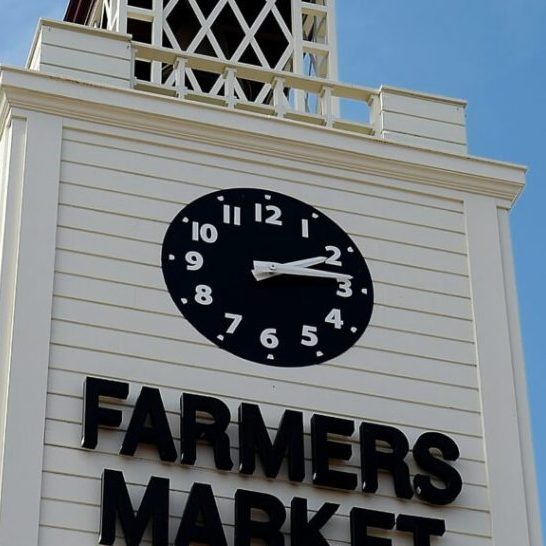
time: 2:13
